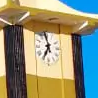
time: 6:58
